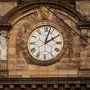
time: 2:02
